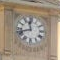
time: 11:41
